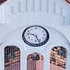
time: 9:26
